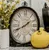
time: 1:40
